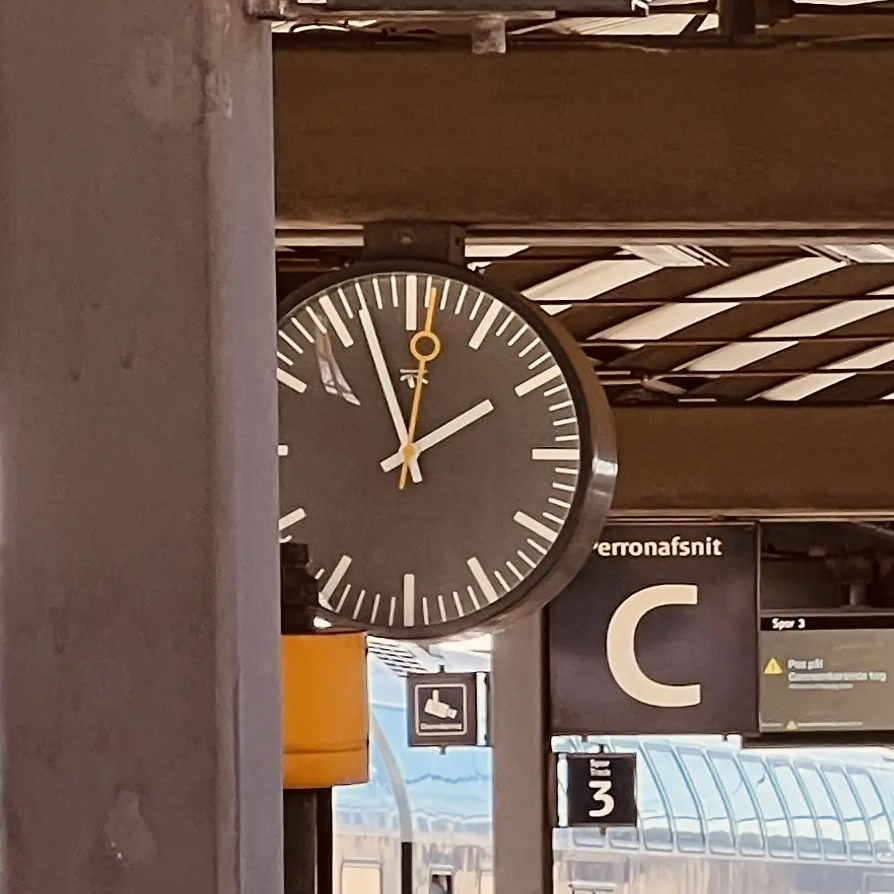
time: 1:56
